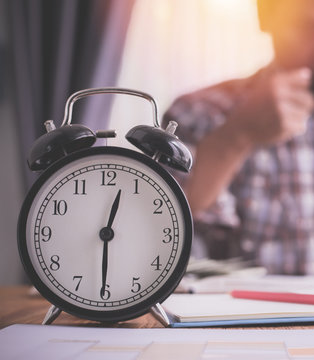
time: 12:30
